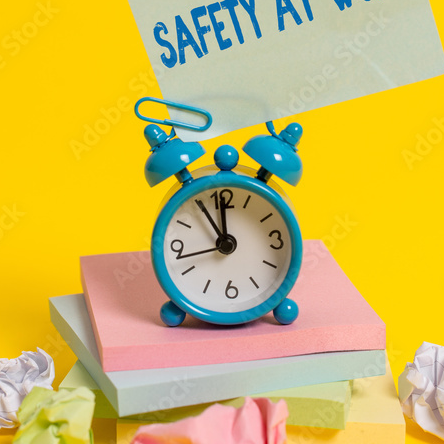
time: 11:54
